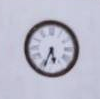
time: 5:33
